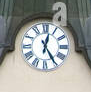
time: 12:24
